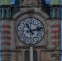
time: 11:12
